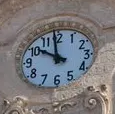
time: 9:58
